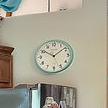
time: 10:08
